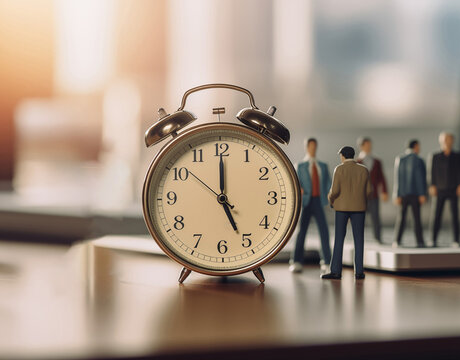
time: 5:00
